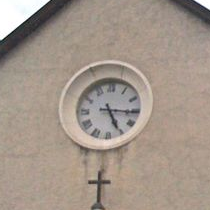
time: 5:15
